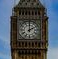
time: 2:00
